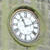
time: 11:11
